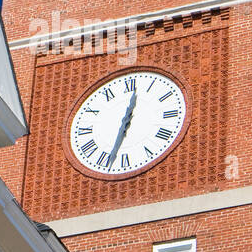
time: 12:33
